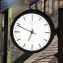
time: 6:48
